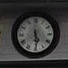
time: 5:29
